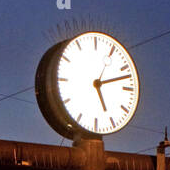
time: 5:12
